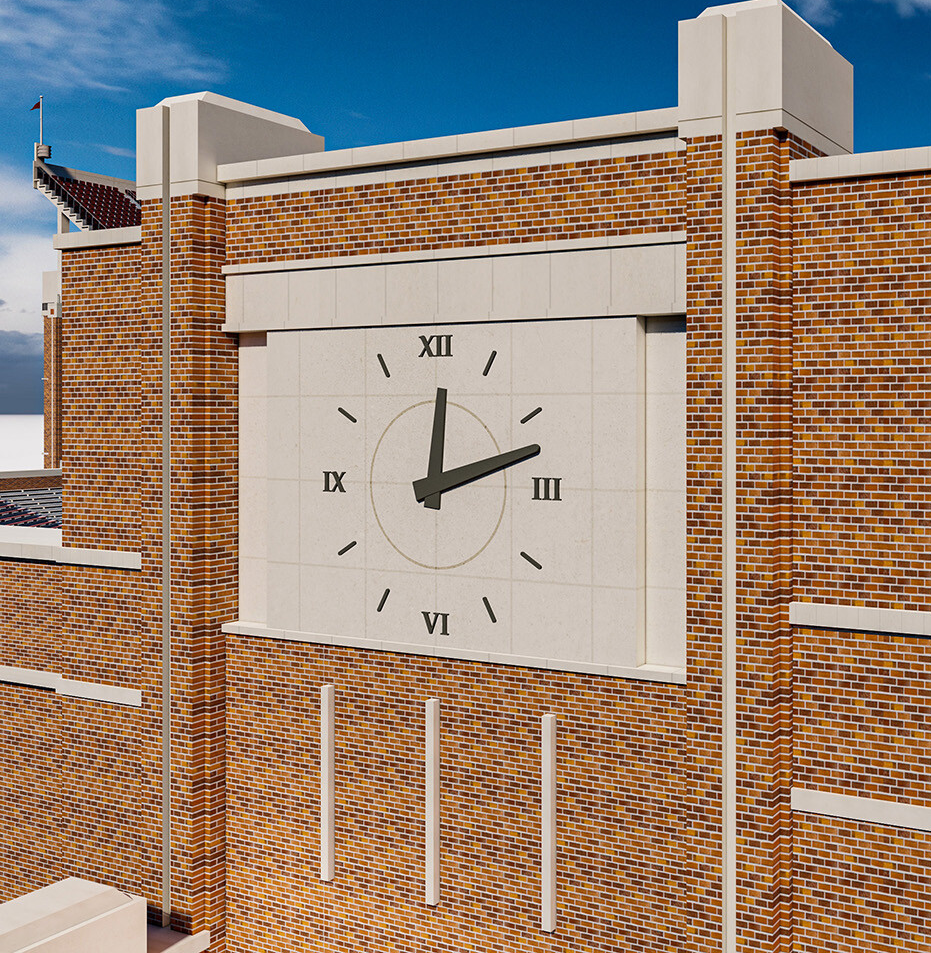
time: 12:12
